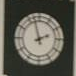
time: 1:57
